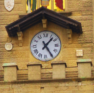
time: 1:24
